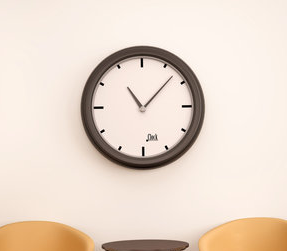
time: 11:07
